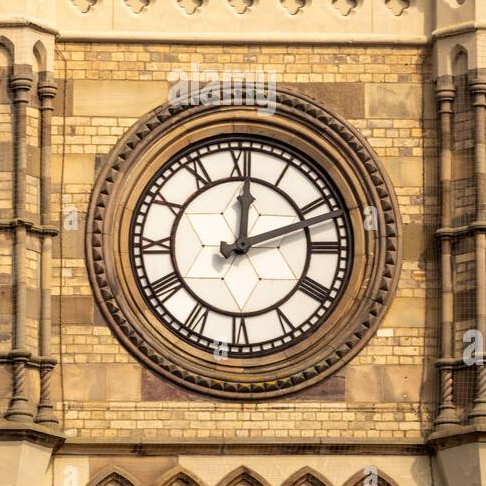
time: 12:11
